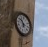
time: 5:51
